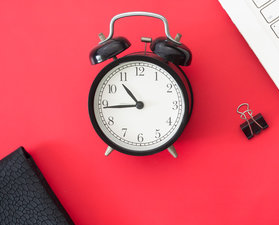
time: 10:44
